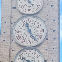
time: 11:24
